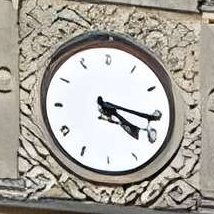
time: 4:16
